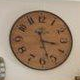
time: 3:27
